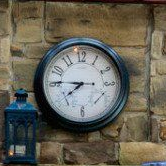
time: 7:45
